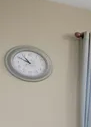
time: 10:50
